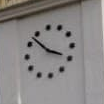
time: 3:52
